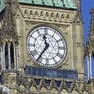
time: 11:36
